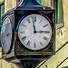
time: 2:58
